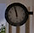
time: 11:58
